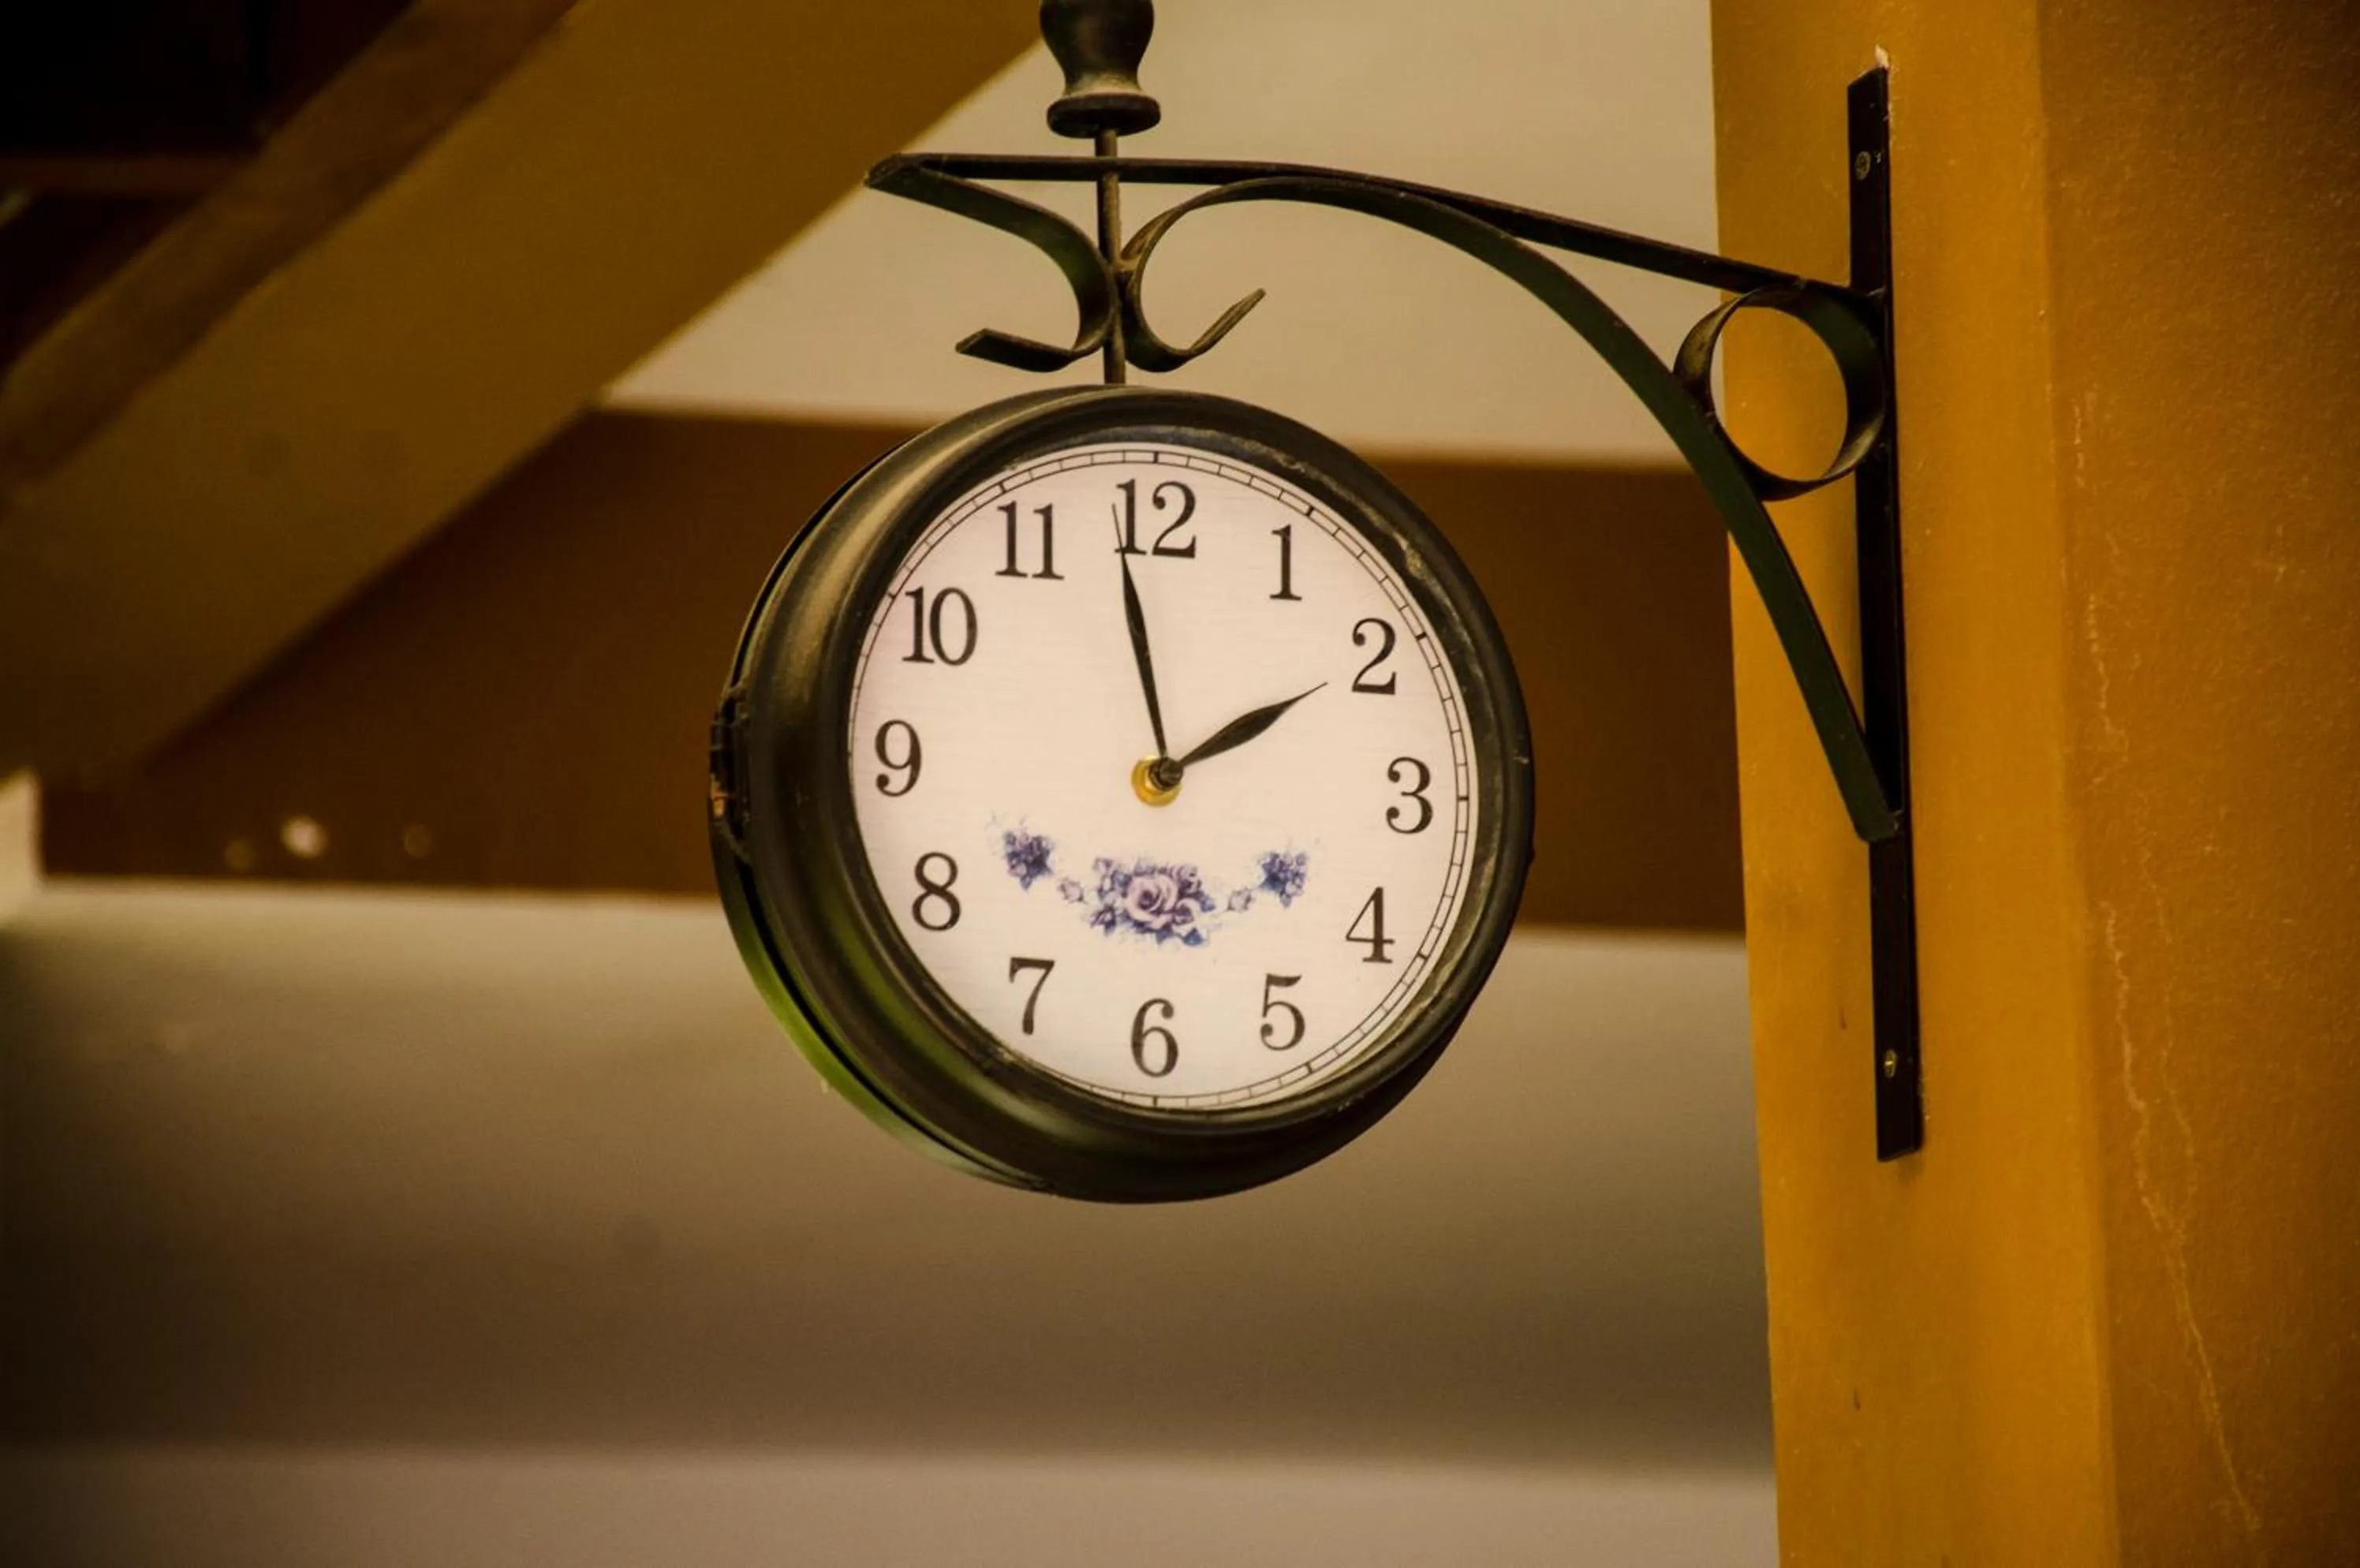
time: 1:58
